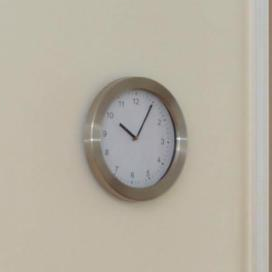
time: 10:05
